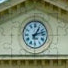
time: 1:12
